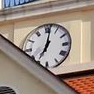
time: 7:01
